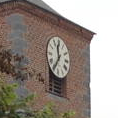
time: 11:35
